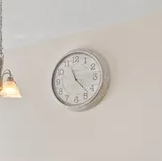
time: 11:22
